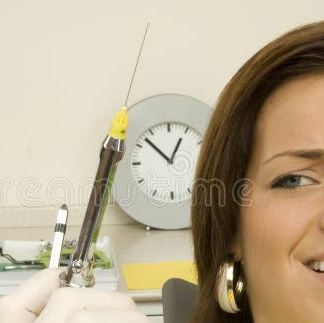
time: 12:52
